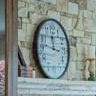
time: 11:46
